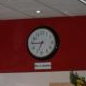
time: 6:44
